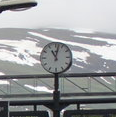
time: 11:02
